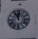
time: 11:55
